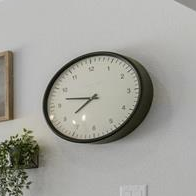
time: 7:46
